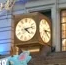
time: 4:13
